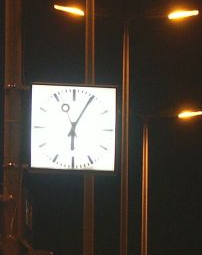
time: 6:04
